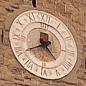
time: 4:39
